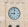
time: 9:01
